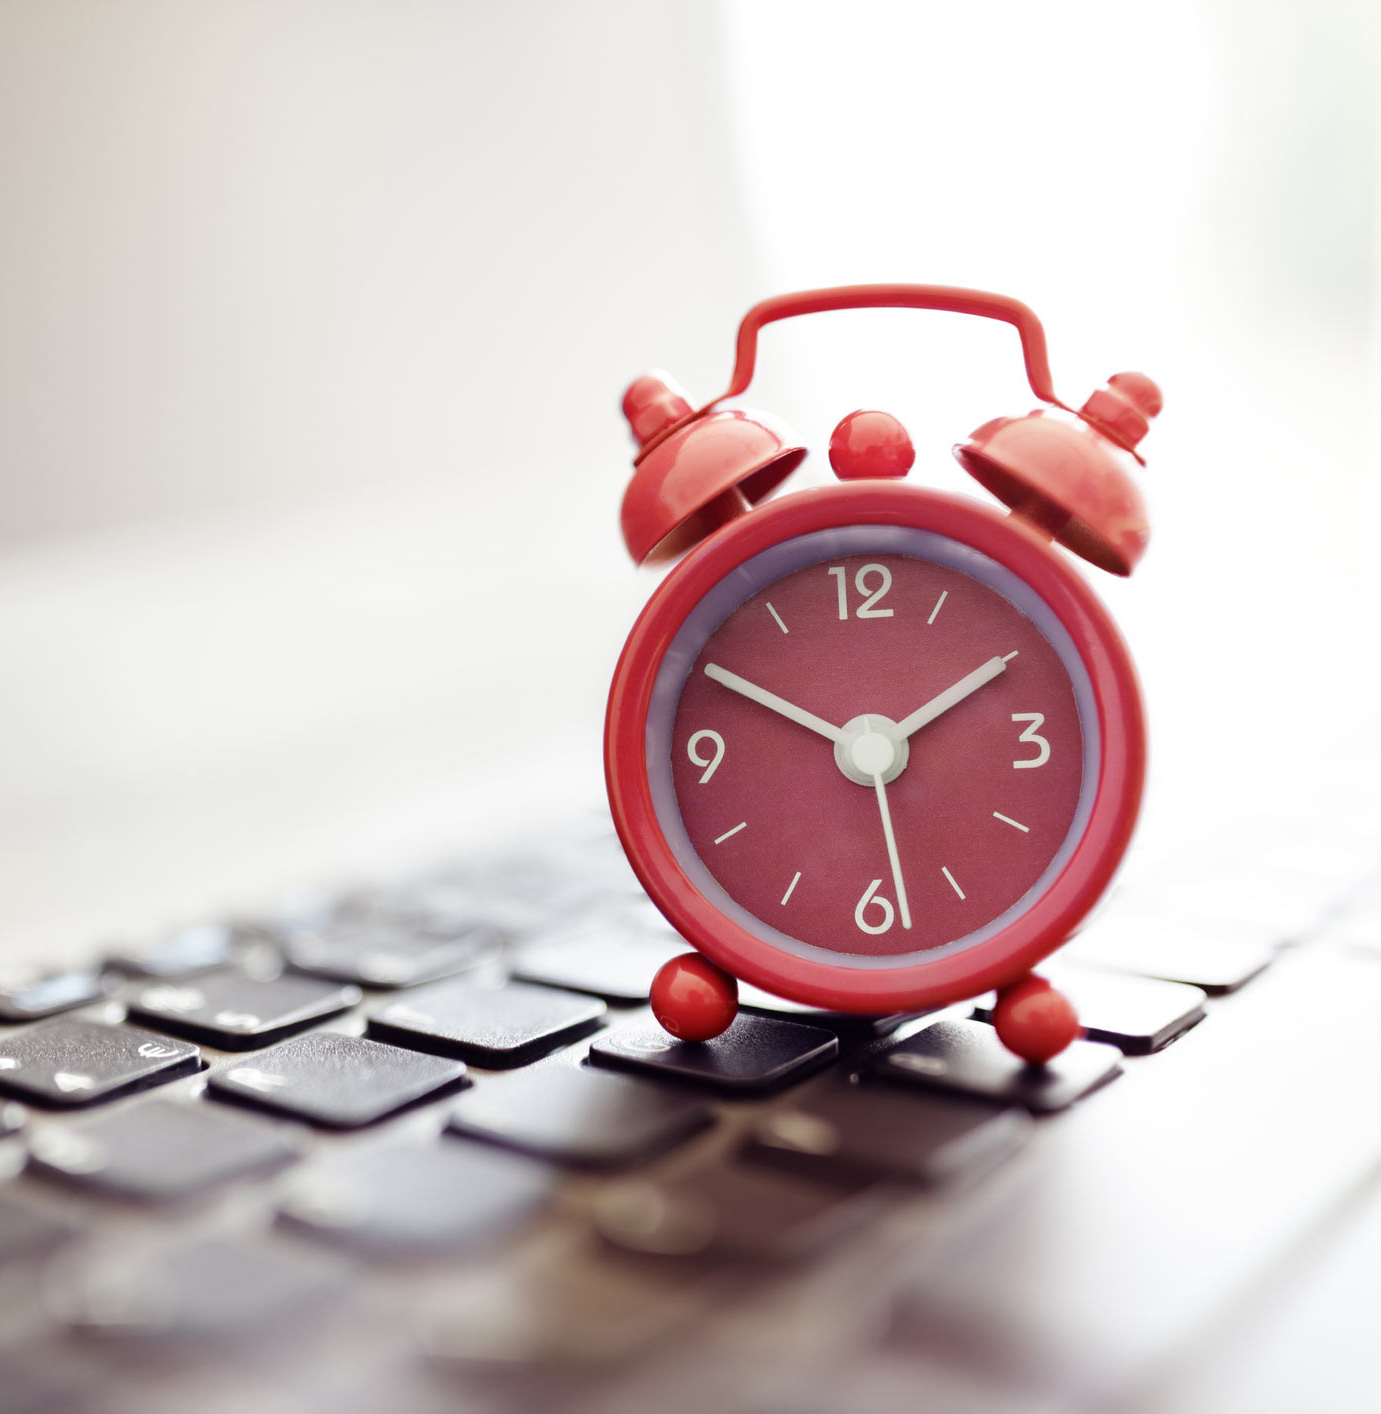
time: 1:50
